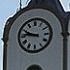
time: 9:45
